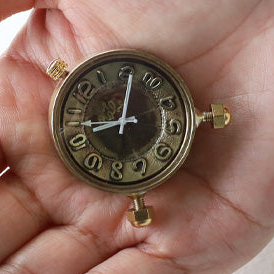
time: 9:01
